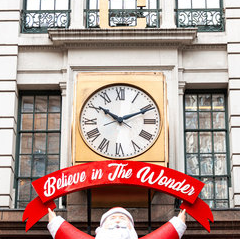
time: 10:10
